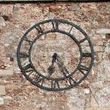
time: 6:25
